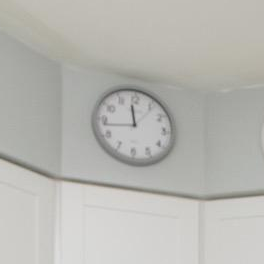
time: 11:43
